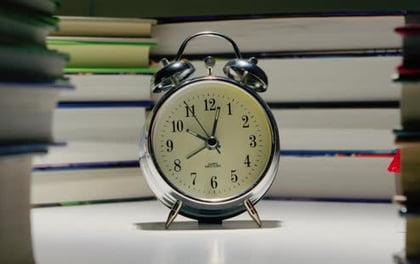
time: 10:02
